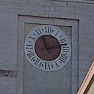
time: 11:12
